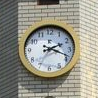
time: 2:18
